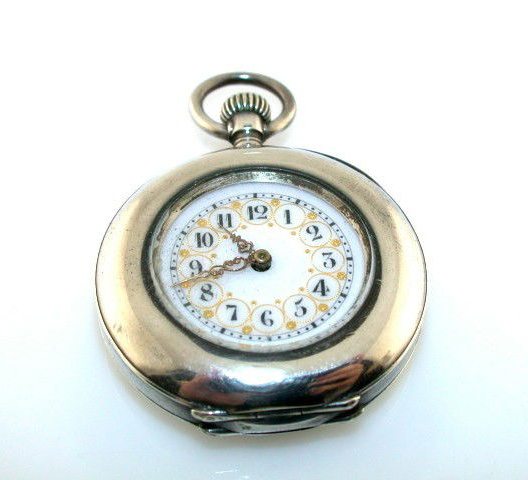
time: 10:42
